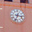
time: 3:33
